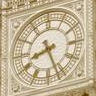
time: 8:26
